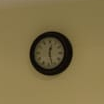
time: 12:27
